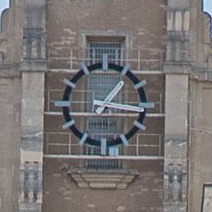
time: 1:16
